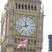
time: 11:42
